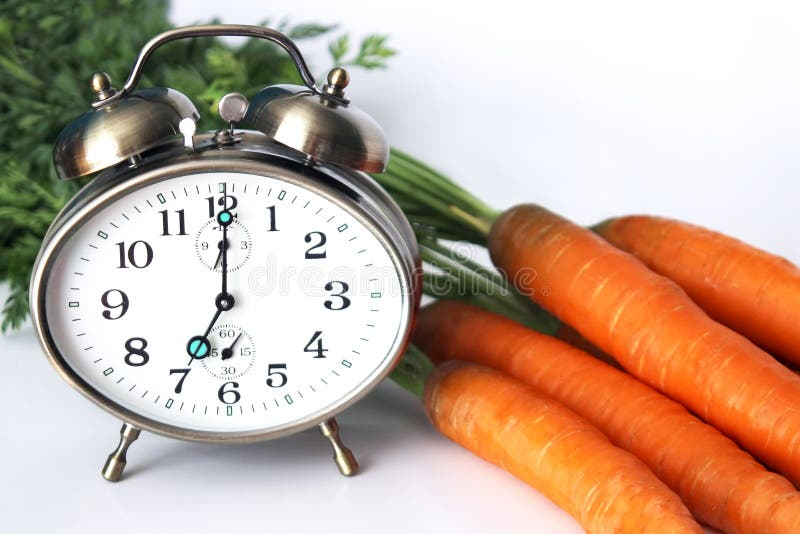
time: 7:00
